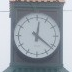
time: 12:21
